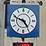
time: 4:48
